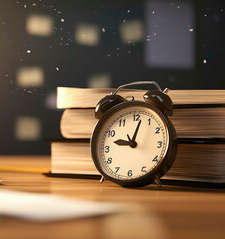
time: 9:02
